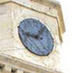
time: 9:07
